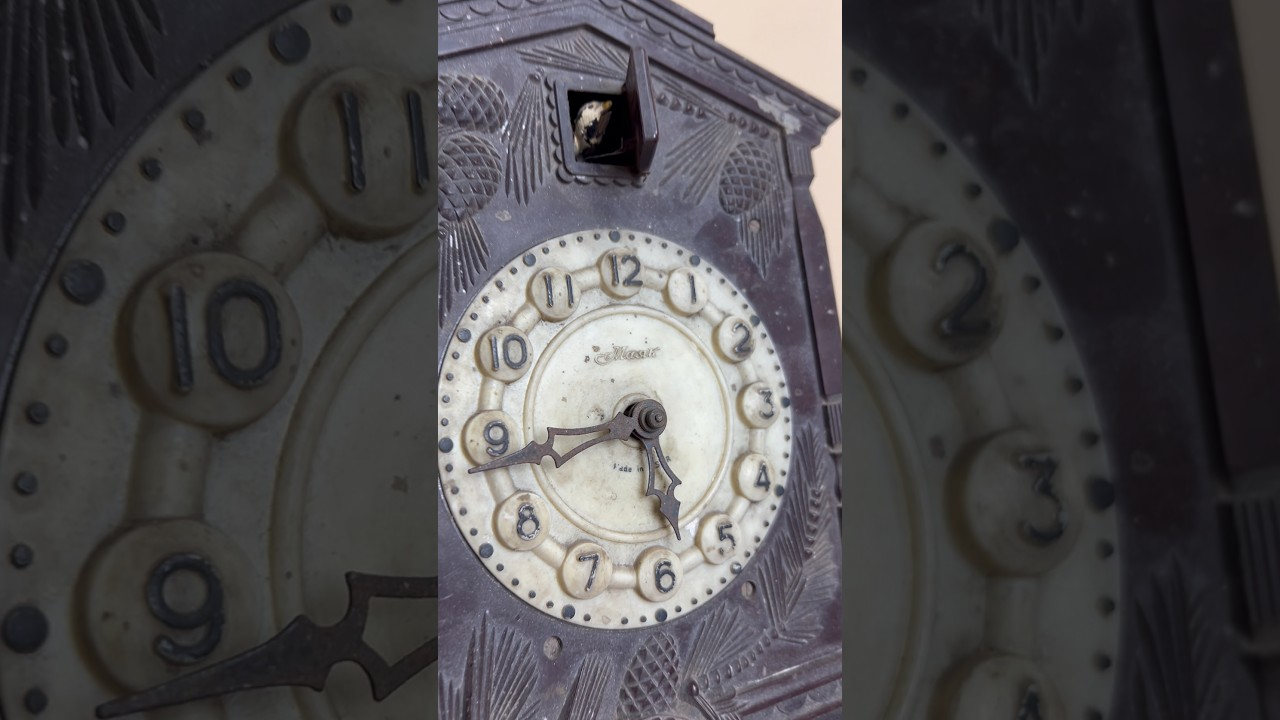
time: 5:43
